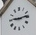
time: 9:13
